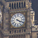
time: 4:18
